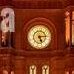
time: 5:14
